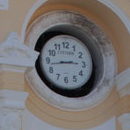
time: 2:42
